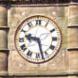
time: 9:27
